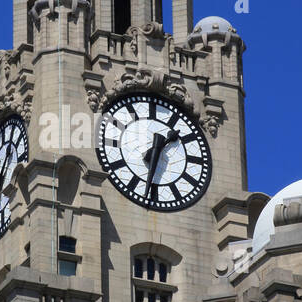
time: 1:32
